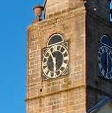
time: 5:54
